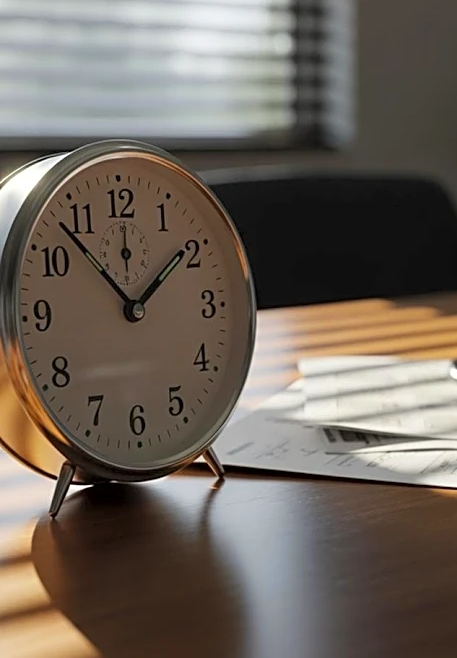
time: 1:52
